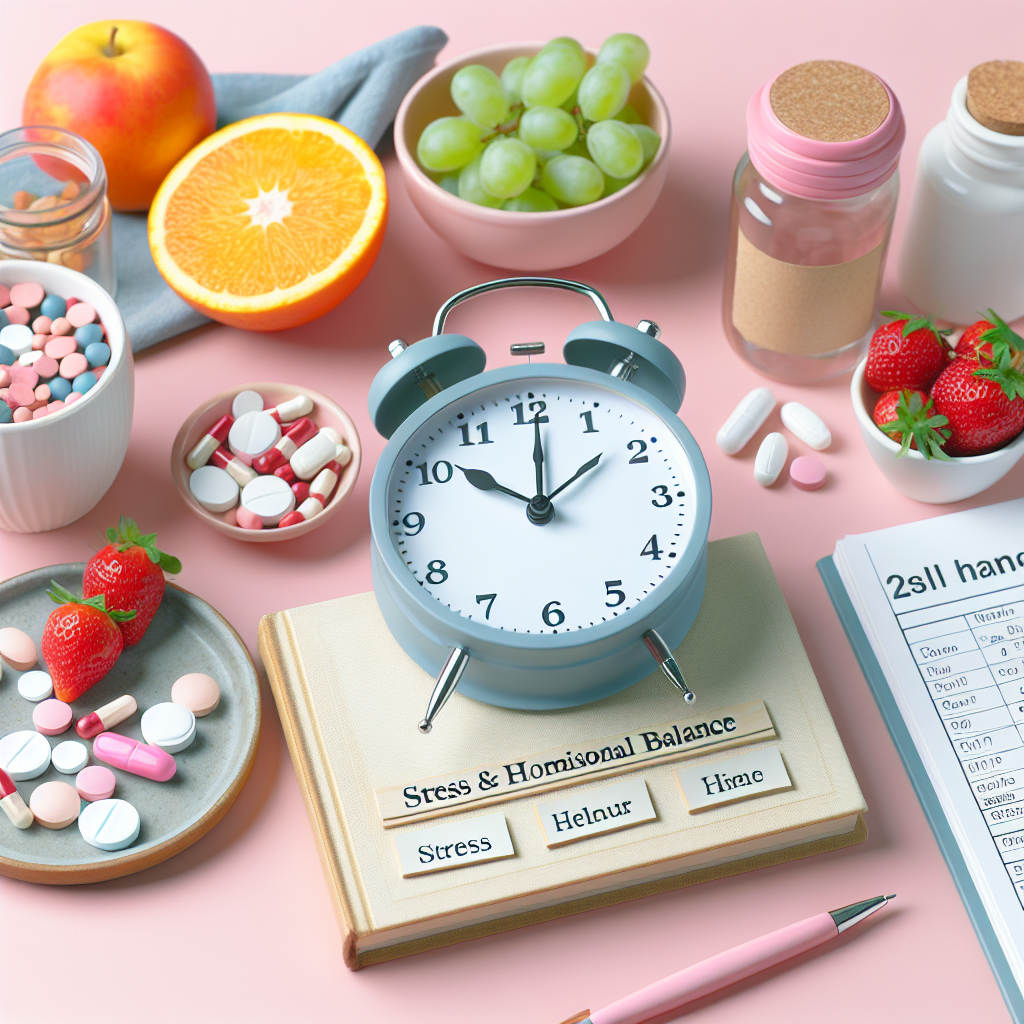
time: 10:00
